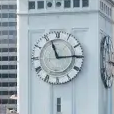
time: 11:14
